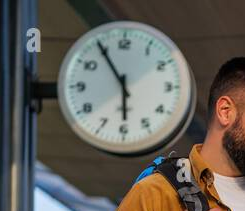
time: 5:54
